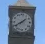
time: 1:40
